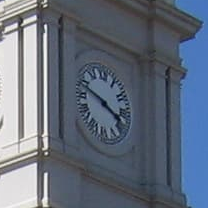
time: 3:48
